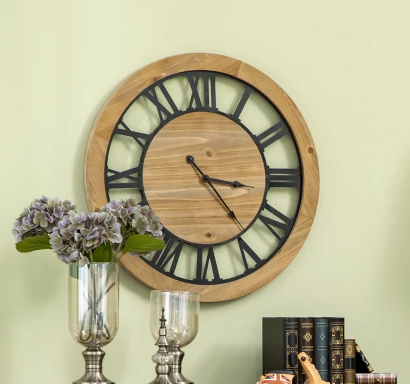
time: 3:23
